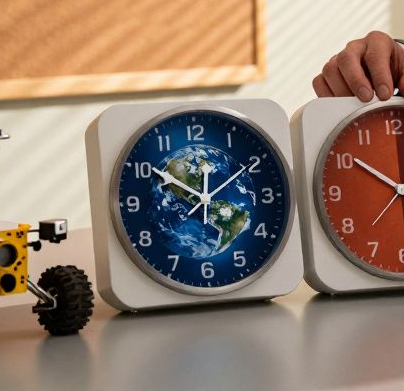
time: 11:50
